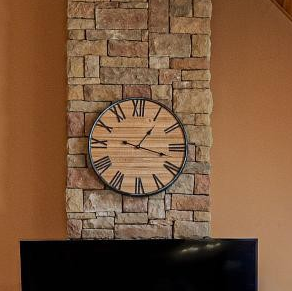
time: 1:17
